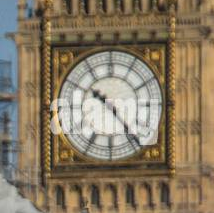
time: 10:24
